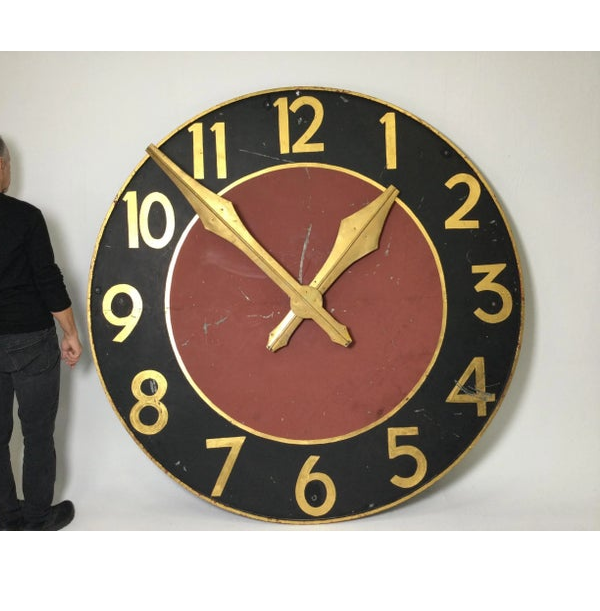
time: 1:06
